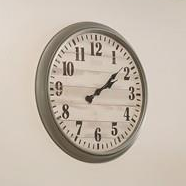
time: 2:08
